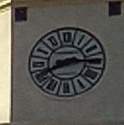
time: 8:14
